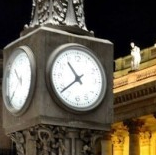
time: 10:38
